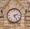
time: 2:25
